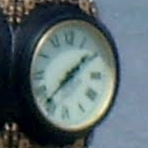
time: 1:37
